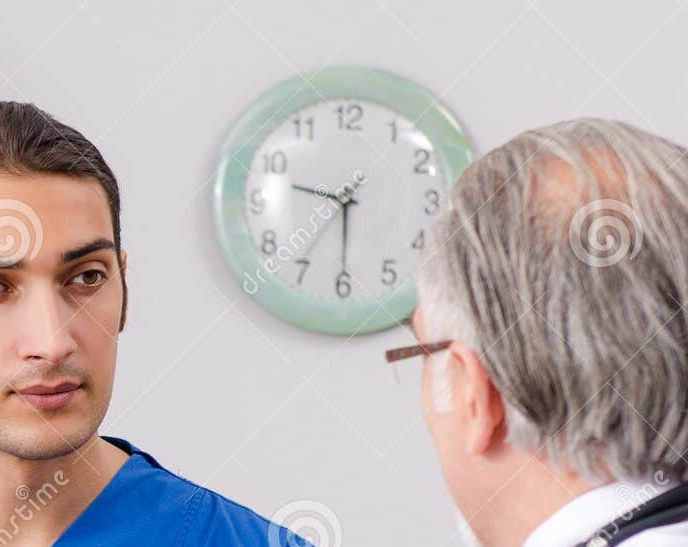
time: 9:30
